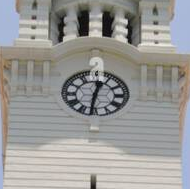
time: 12:31
